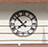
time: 7:52
